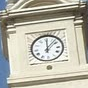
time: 12:07
